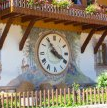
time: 3:54
